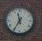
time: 11:35
